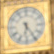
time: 6:24
